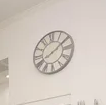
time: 8:09
